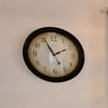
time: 1:55
